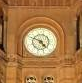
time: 4:48
